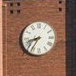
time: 8:35
